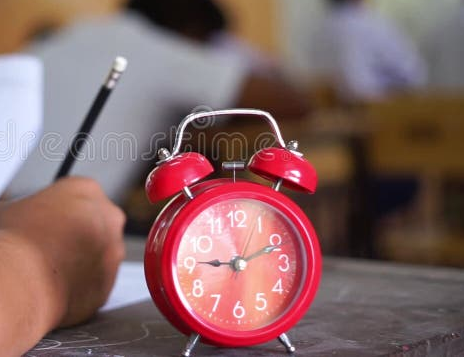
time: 9:10
